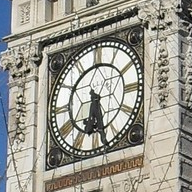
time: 6:27
